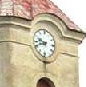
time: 9:42
